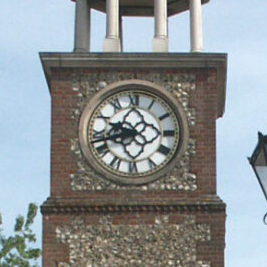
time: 9:42
